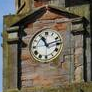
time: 11:12
